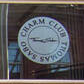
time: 2:45
